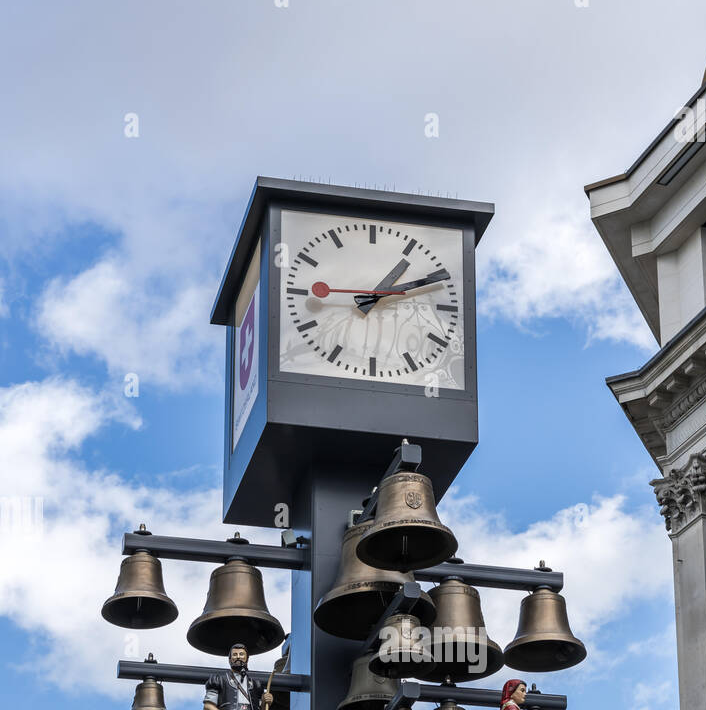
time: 1:10
